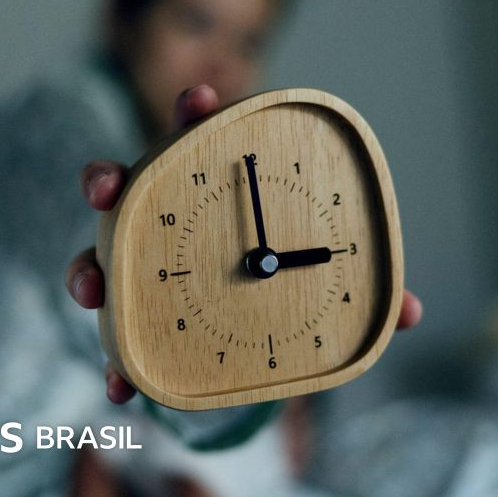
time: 2:59
